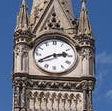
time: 2:40
